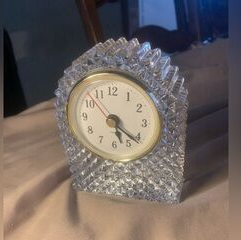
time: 5:21
